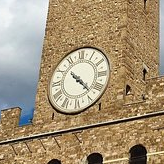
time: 10:22
